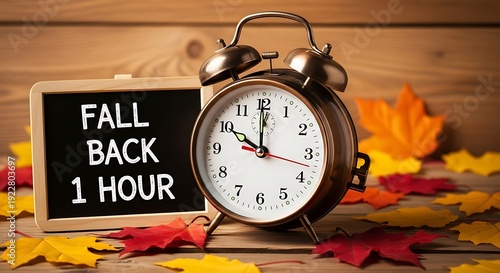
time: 10:00
